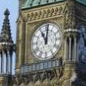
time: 11:01
